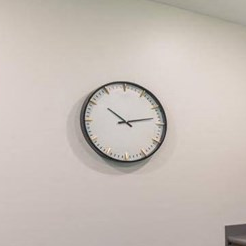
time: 10:12
